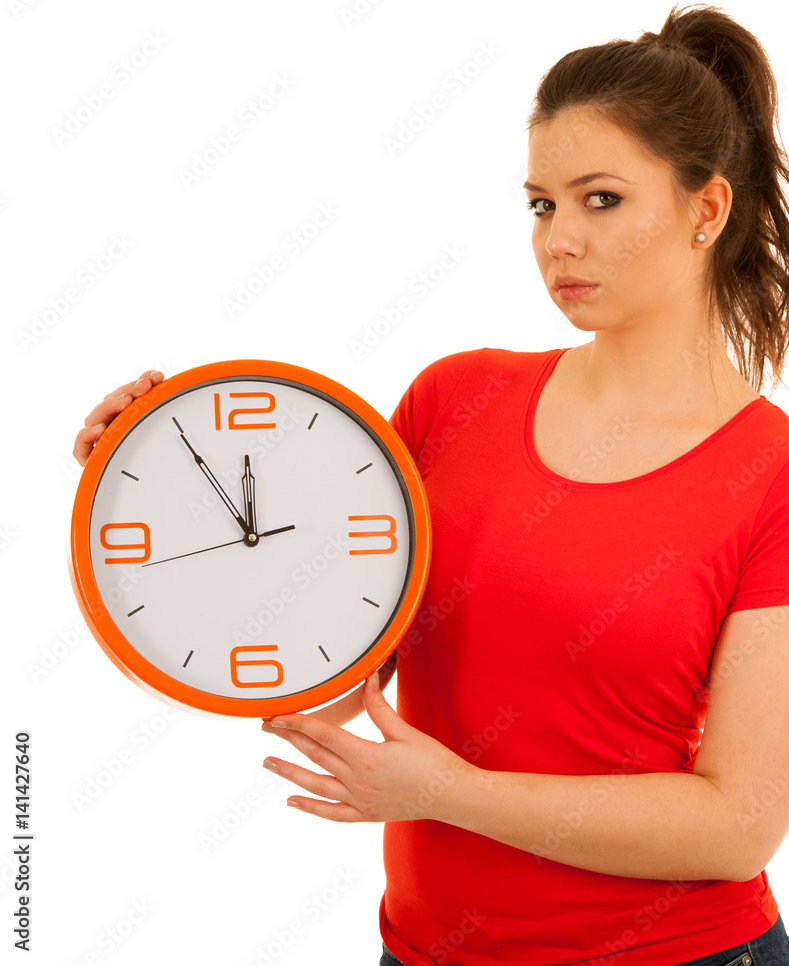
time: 11:54
